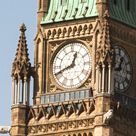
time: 12:41
